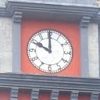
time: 9:59
